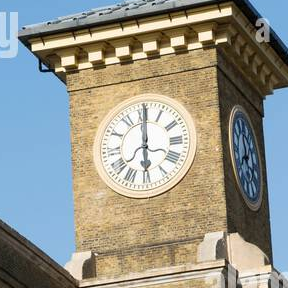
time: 6:00
